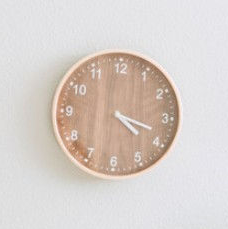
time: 4:18
